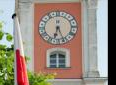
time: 6:25
